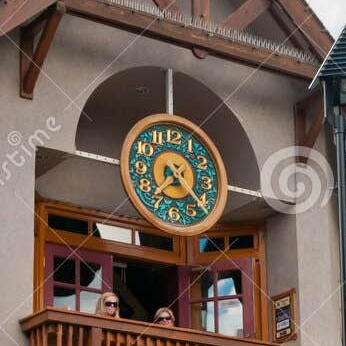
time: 7:22
